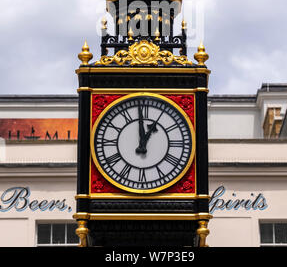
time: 12:59
